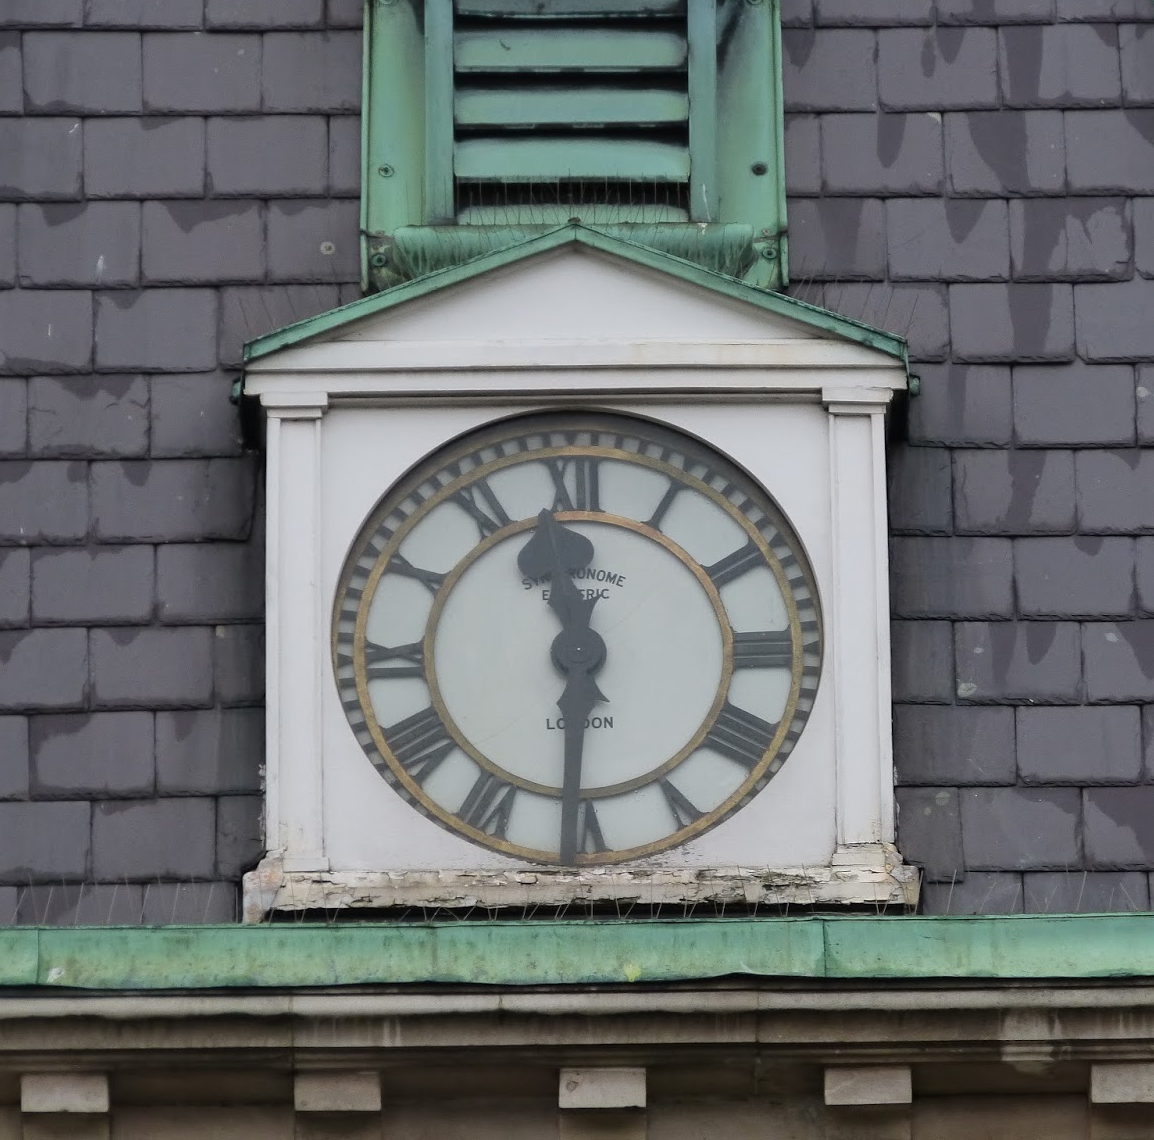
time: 11:30
